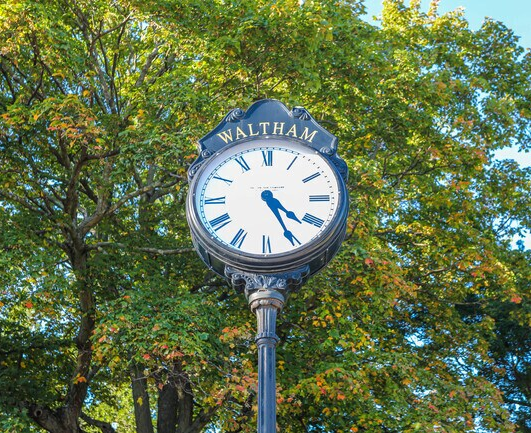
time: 4:25
